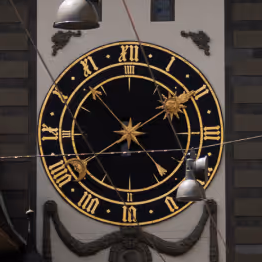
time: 1:53
